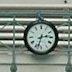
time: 2:32
